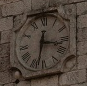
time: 3:32
